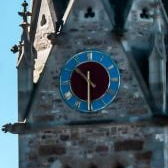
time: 10:30
